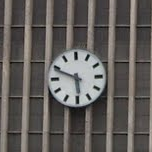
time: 5:48
